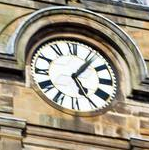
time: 5:06
